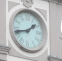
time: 1:42
